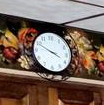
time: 3:49
